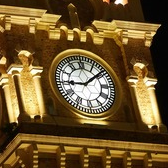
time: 9:08
